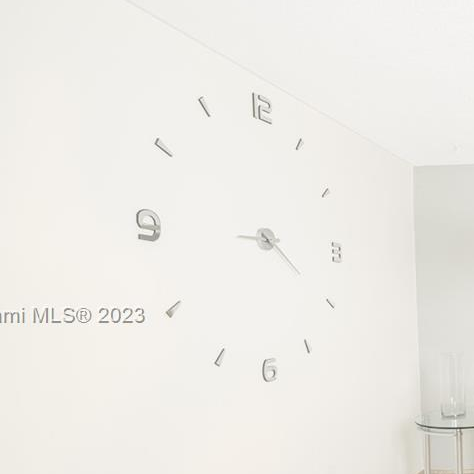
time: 4:20
